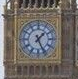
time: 1:25
